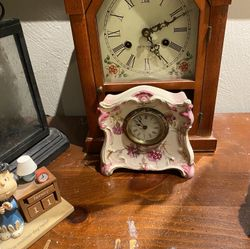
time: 5:11
